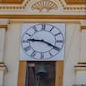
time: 9:20
